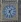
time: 1:26
